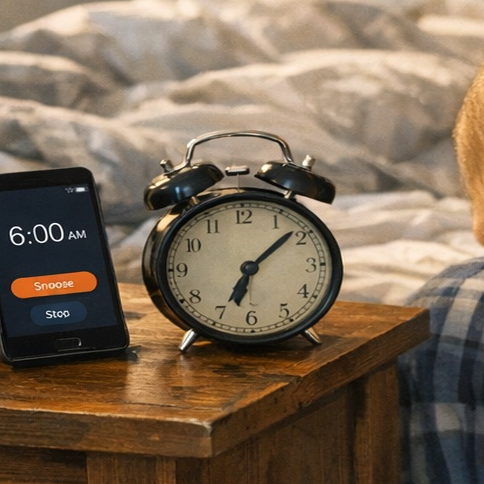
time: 7:08
